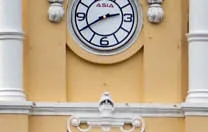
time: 2:39
